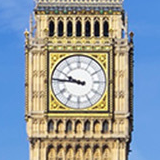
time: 9:45
